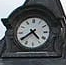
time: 4:39
